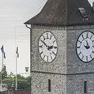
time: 2:50
